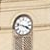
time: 3:47
